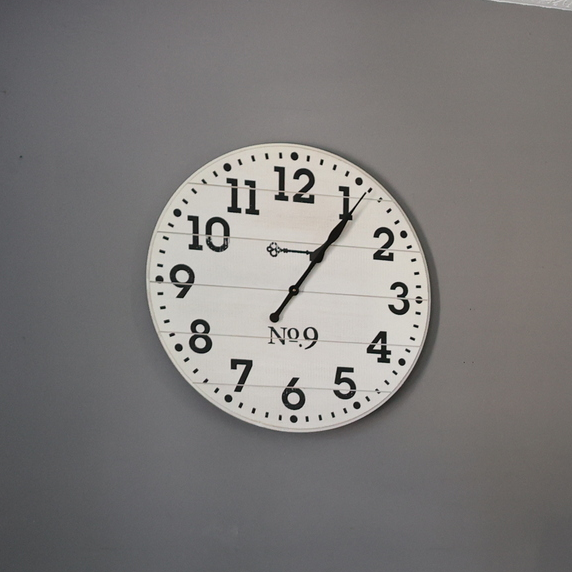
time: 1:05
